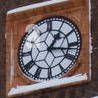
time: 1:16
